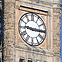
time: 9:15
